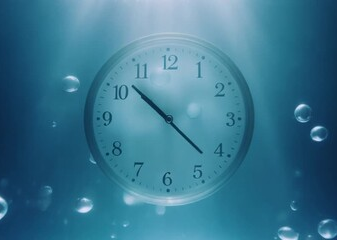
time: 10:22
